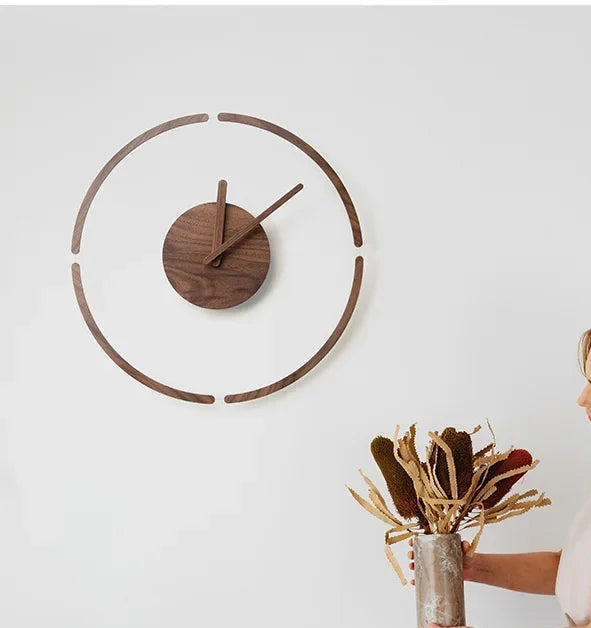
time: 12:08
